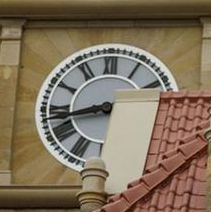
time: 8:42
